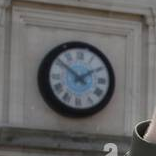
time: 1:51
